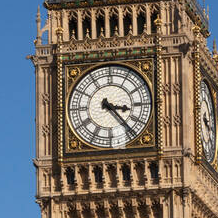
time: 3:23
